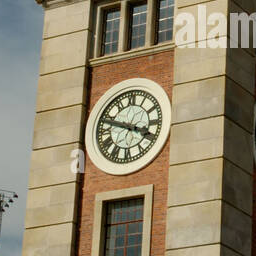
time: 3:47
